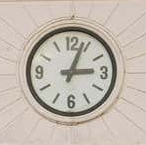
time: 3:03
